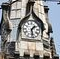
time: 1:28
